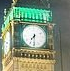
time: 7:30
